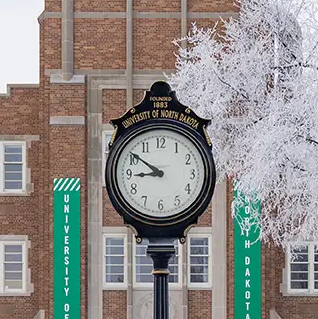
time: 8:50
